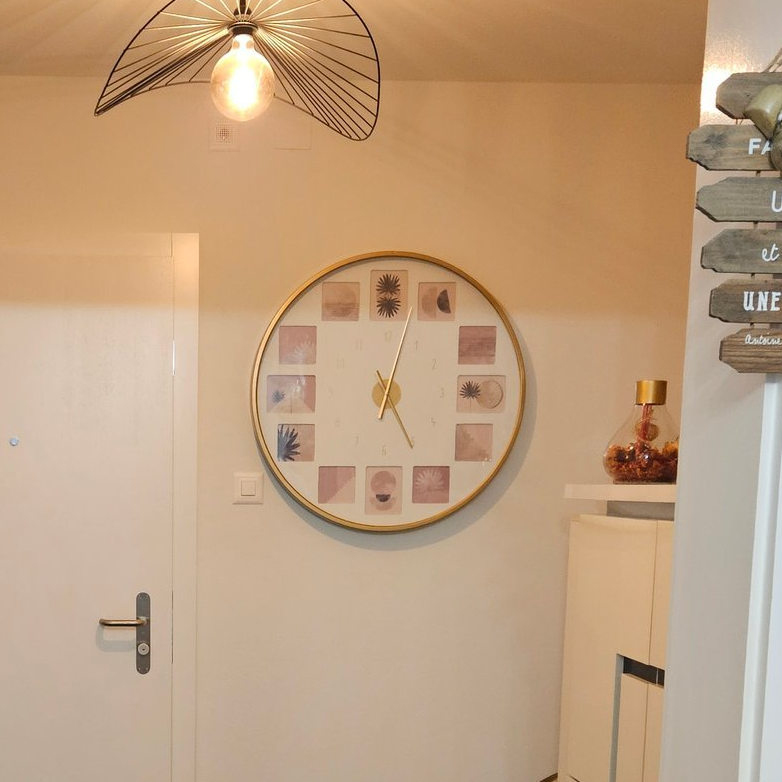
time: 5:02
